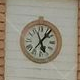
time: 5:06
